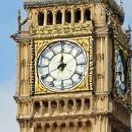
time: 11:40
